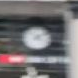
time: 4:09
